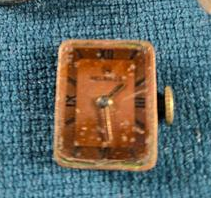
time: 1:28
